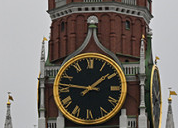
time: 1:46
